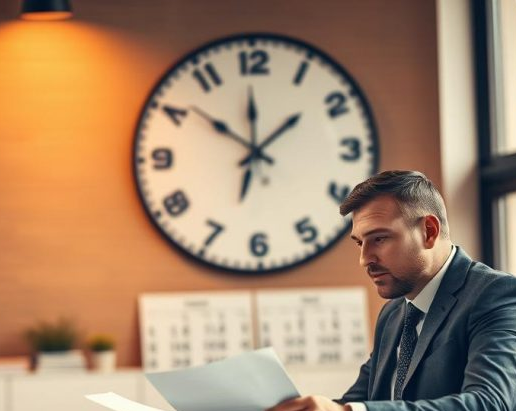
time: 11:51
